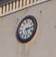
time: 5:14
